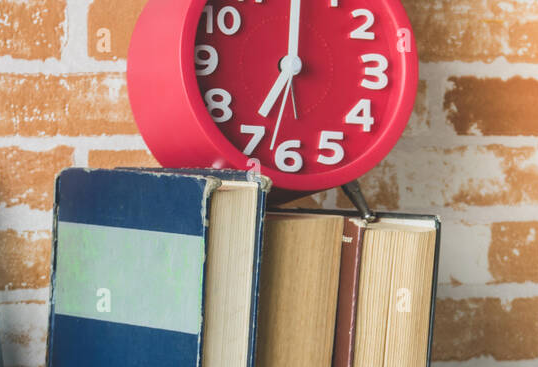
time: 7:00
